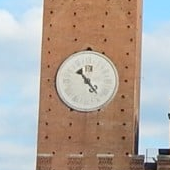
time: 4:22
